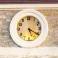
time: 5:20
